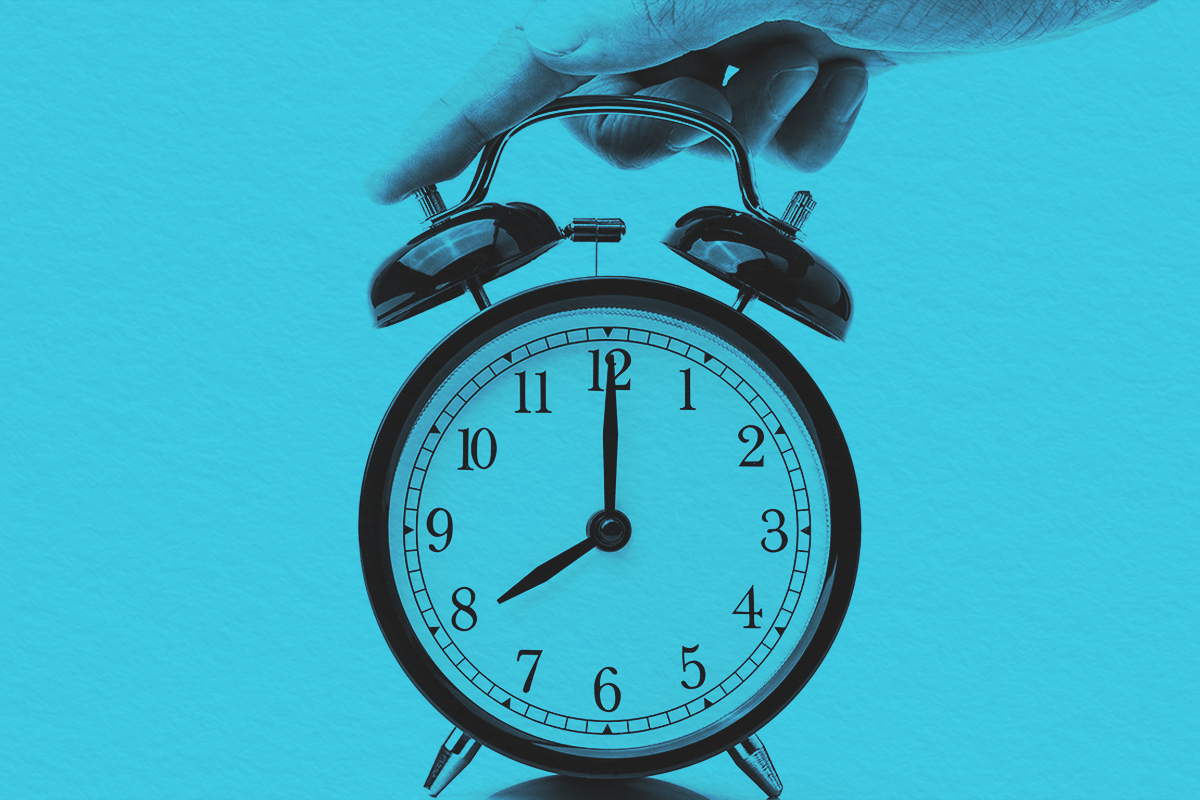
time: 8:00
